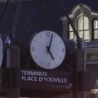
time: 5:03
